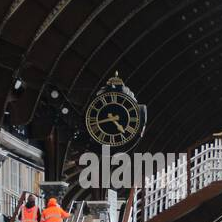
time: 4:42
